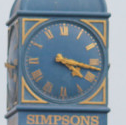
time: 4:17
